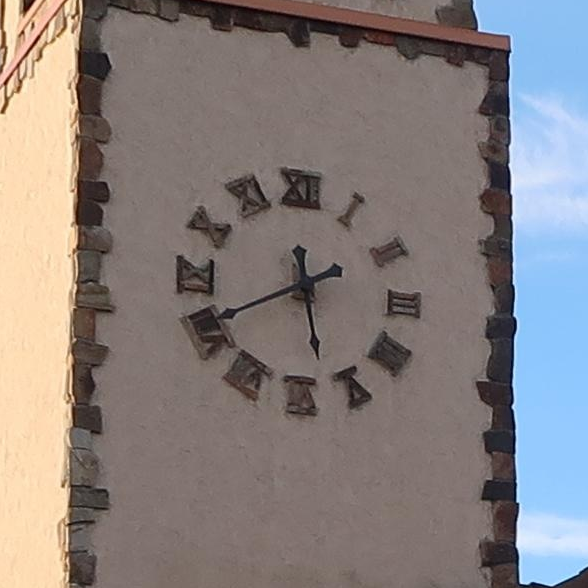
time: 11:40
